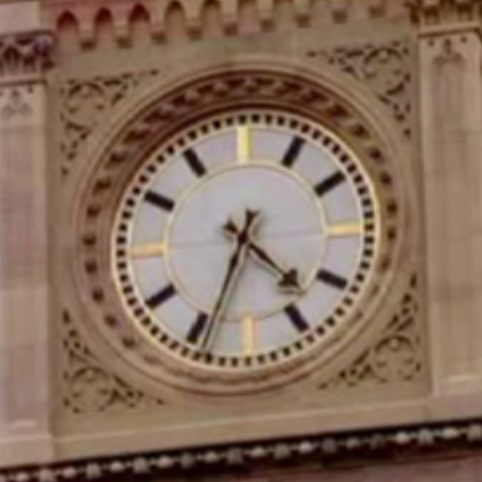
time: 4:34
